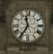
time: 11:35
